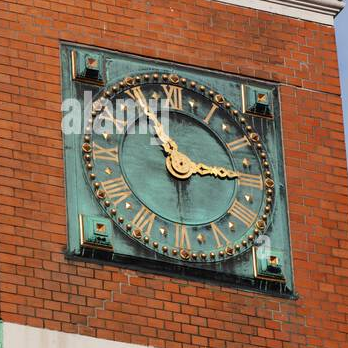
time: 2:56
